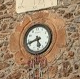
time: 5:42
